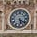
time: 5:20
